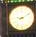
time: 9:10
